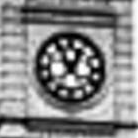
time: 12:55
